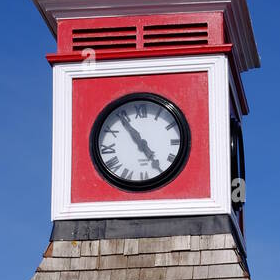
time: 4:54
